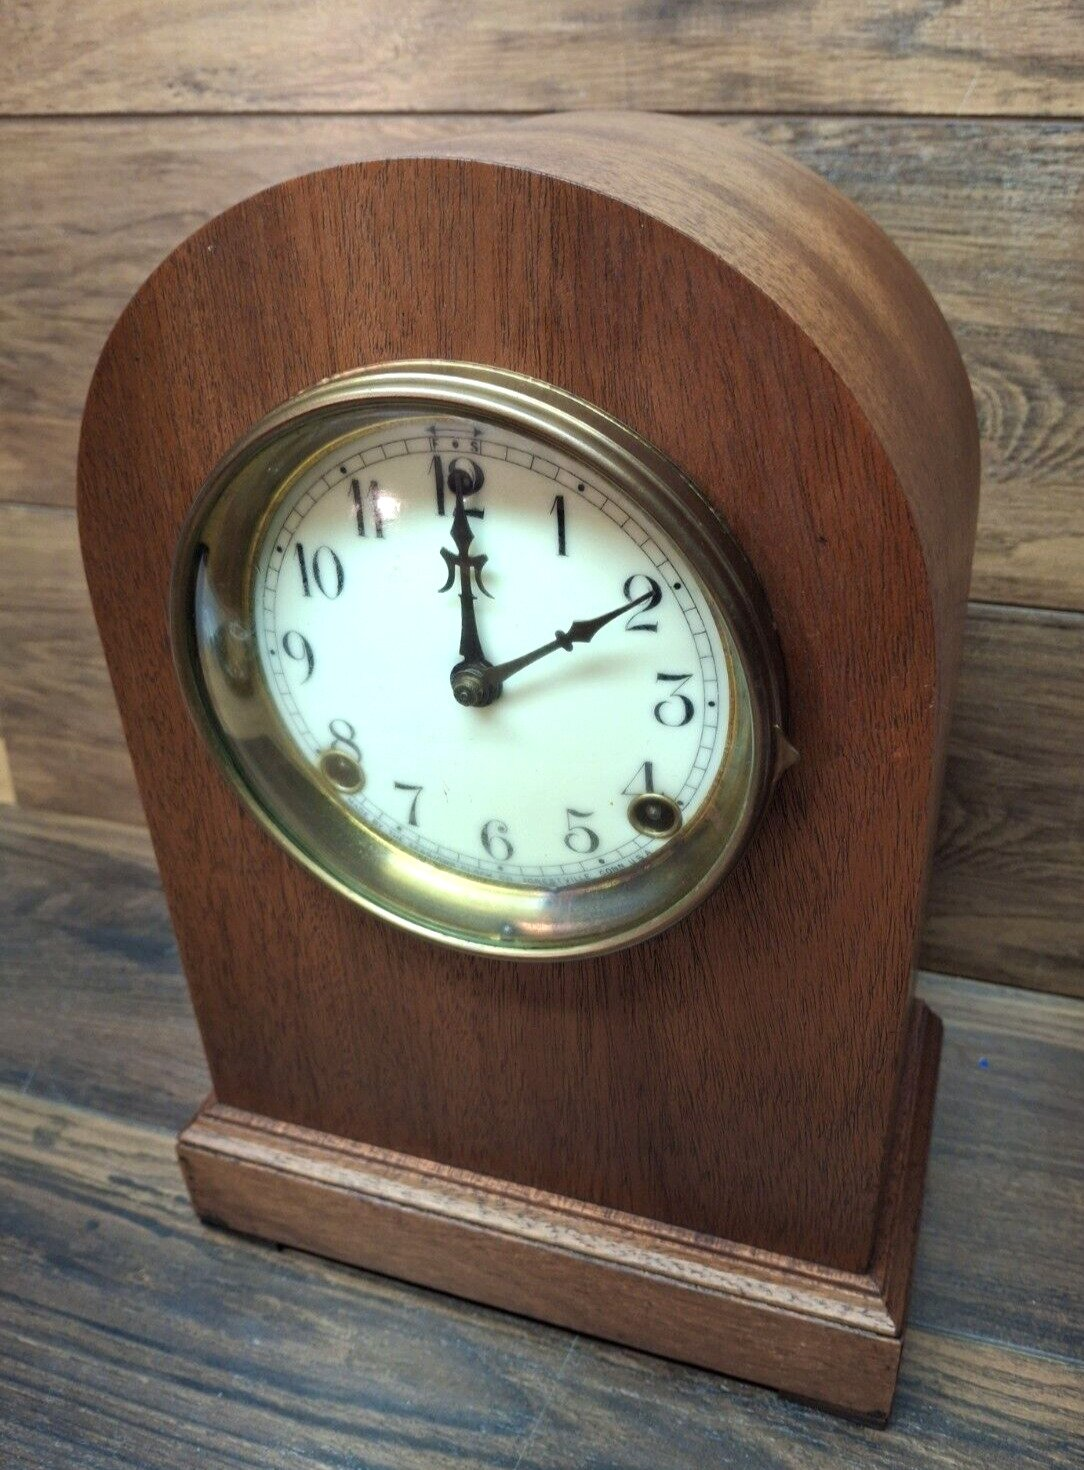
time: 2:00
